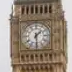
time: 1:29
